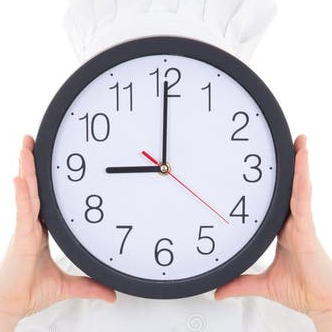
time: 9:00
